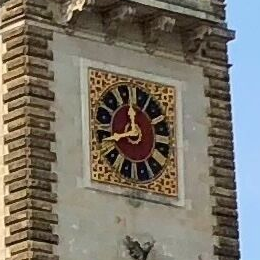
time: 11:42
